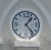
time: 1:23
